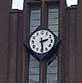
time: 2:29
